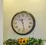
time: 10:28
